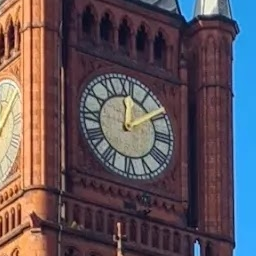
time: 12:09
